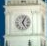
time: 5:03
